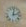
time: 12:12
